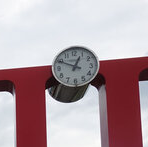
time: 12:49
